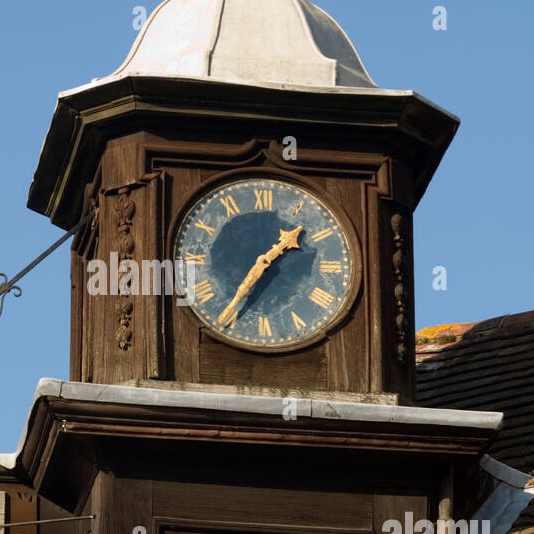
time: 1:36
